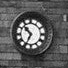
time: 10:34
